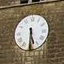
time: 5:30
